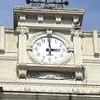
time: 2:59
